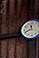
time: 11:41
